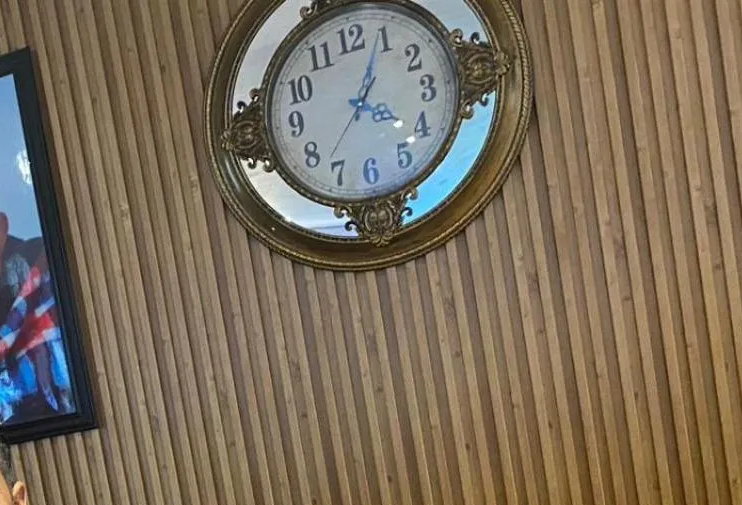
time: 4:04
